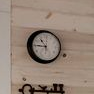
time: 10:45
